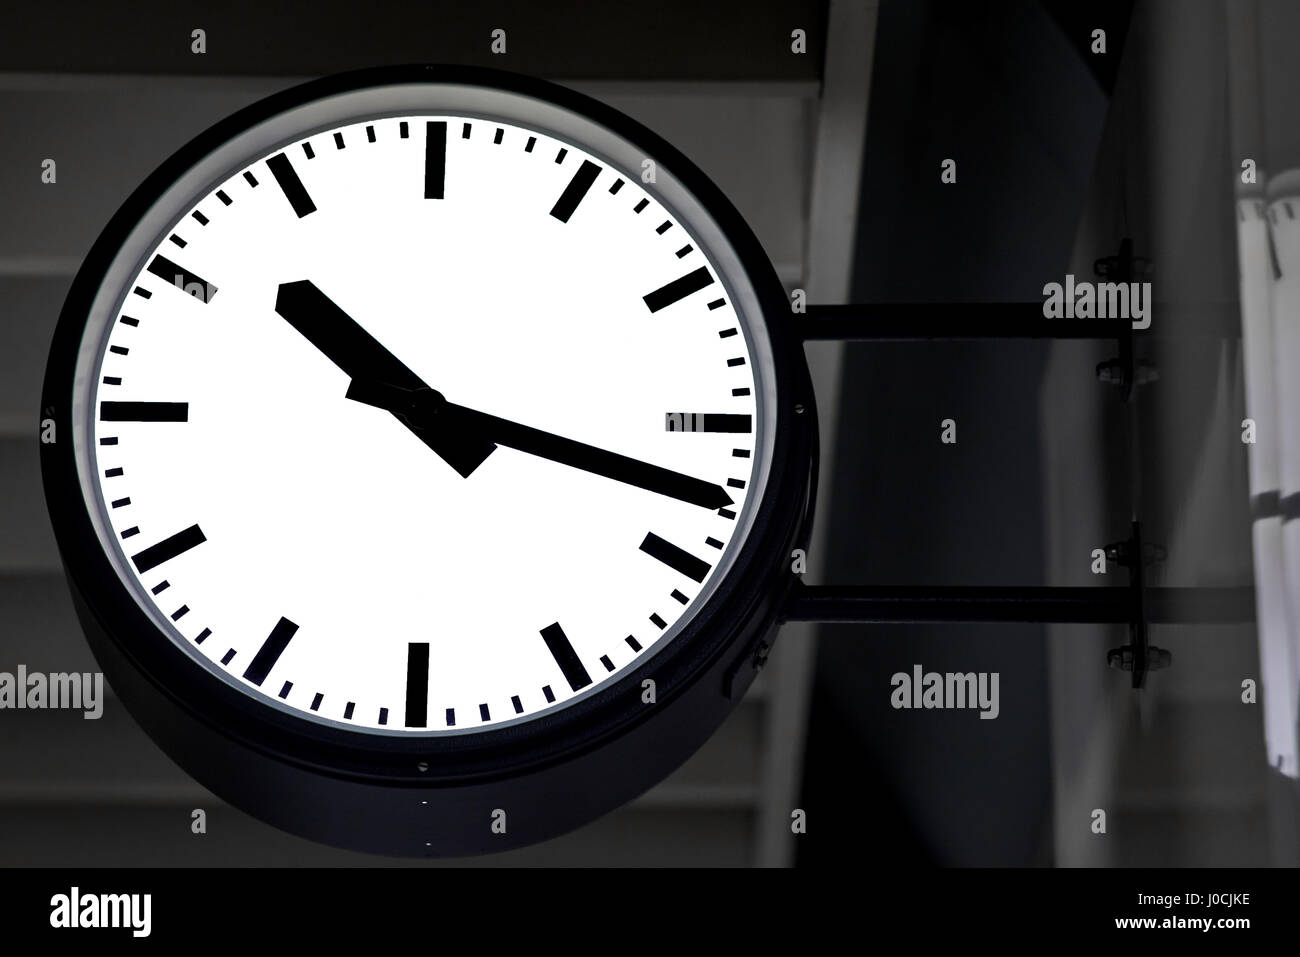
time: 10:17
